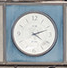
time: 4:11
